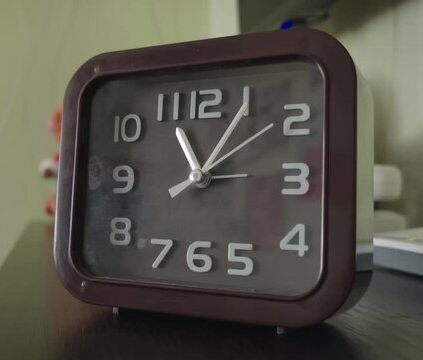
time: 11:05
